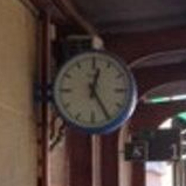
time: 12:24
